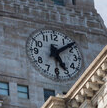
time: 5:08
